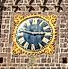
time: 2:46
